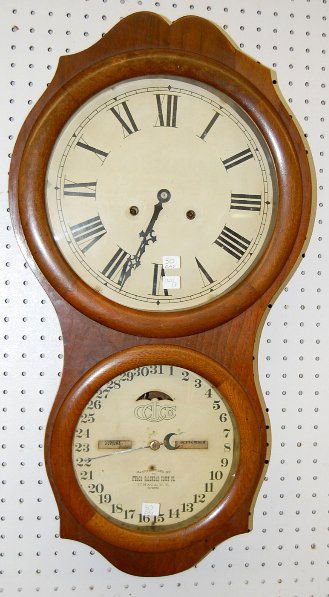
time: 6:33
